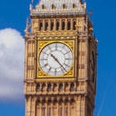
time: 10:22
